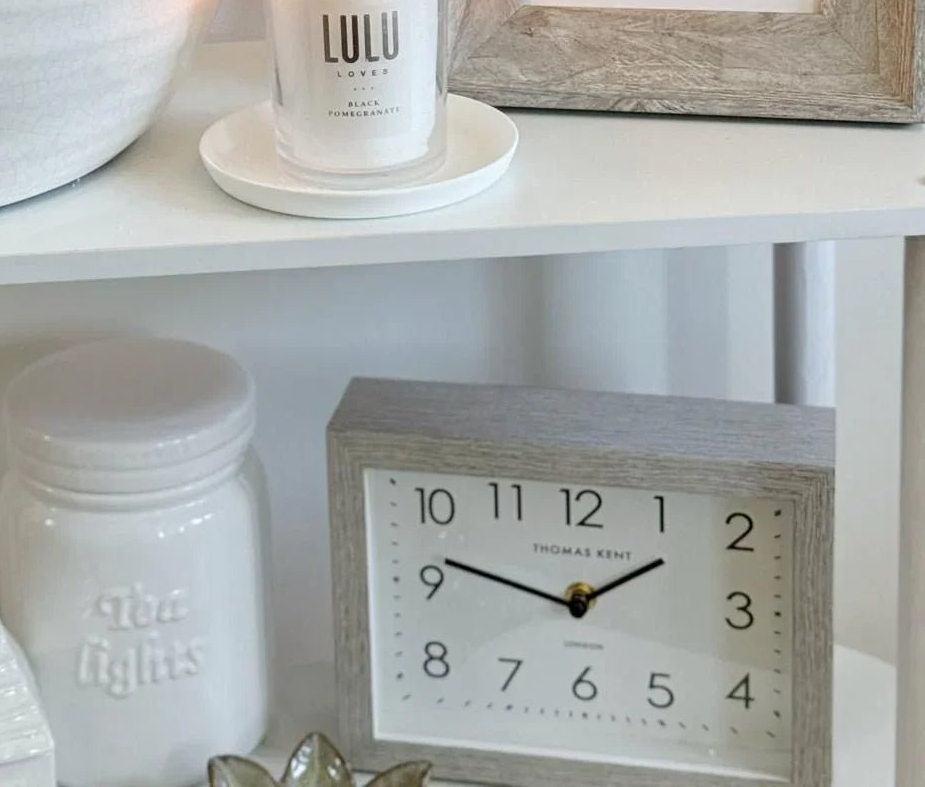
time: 1:47
